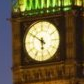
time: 5:50
